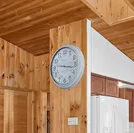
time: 9:16
